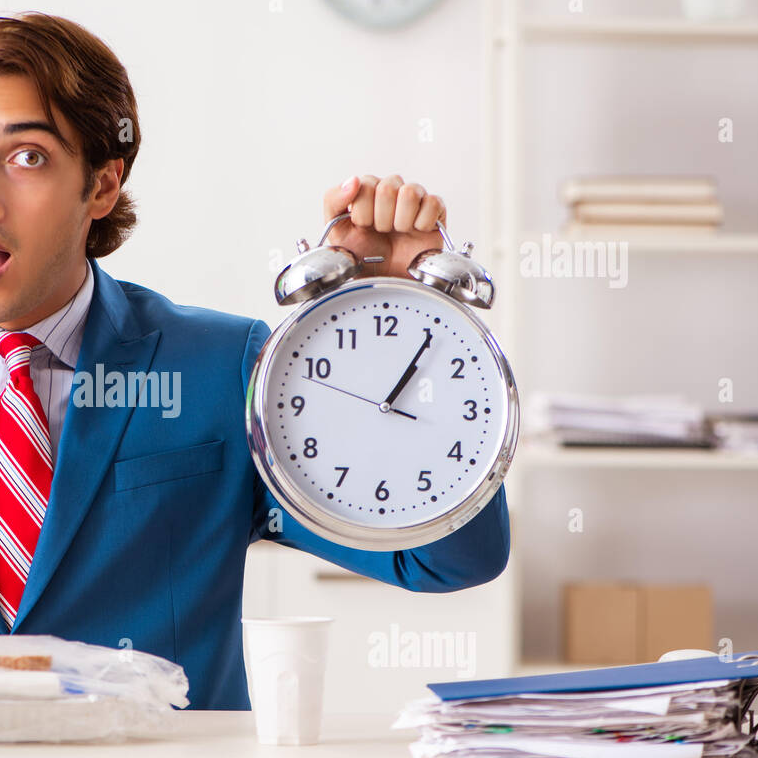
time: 1:05
